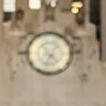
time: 4:33
